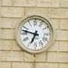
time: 6:47
